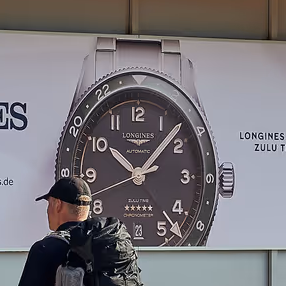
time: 10:07
